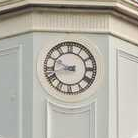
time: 9:42
